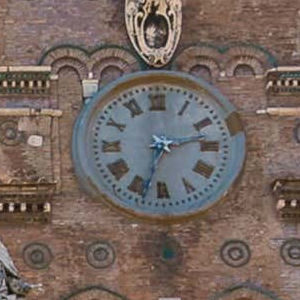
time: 2:33
